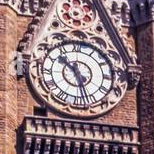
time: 10:27
